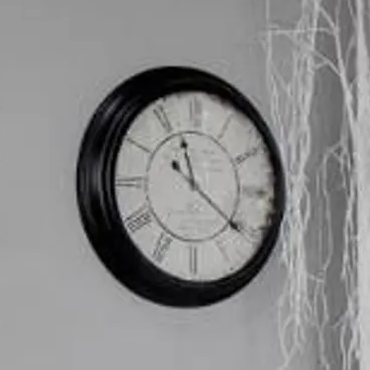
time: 11:21
